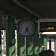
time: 5:33
